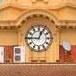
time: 12:45
